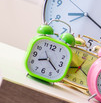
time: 8:20
